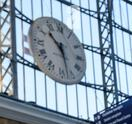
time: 10:28
